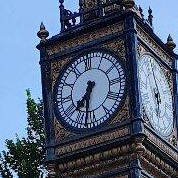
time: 7:32
